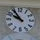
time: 9:54
